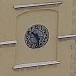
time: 10:28
